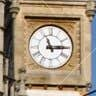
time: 11:14
